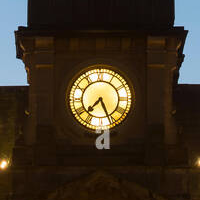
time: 7:26
